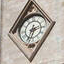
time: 2:33
